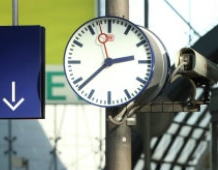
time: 2:38
